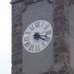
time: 4:17
